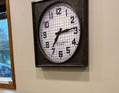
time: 7:14
